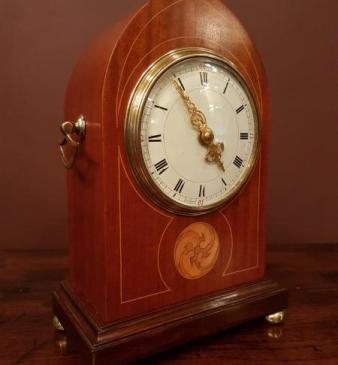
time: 4:54
